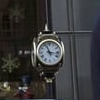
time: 11:16
